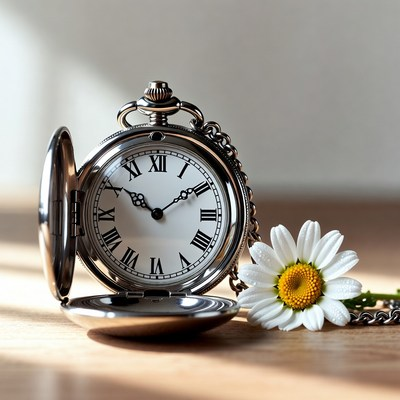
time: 1:50
